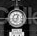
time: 12:32
